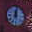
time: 12:02
